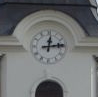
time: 12:13
